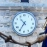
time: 10:35
